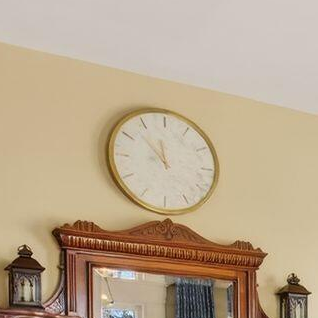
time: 11:52
